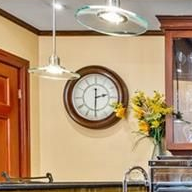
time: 2:30
